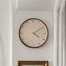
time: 4:09
